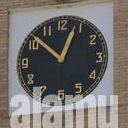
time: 12:51
